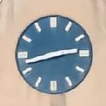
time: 2:42
